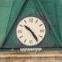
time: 10:24
